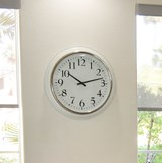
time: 10:12
